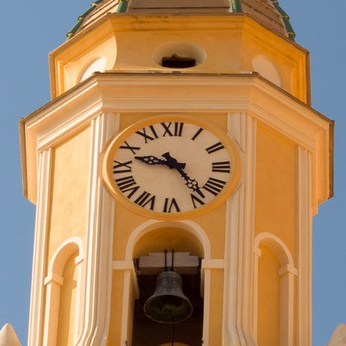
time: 9:23
